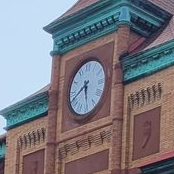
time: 5:40
